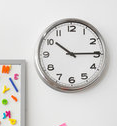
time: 10:14
